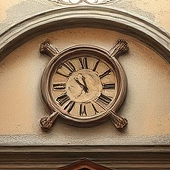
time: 11:52
